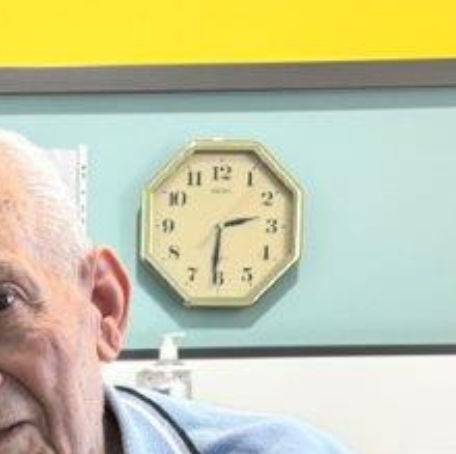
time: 2:31
